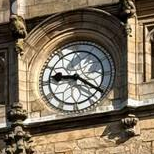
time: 9:20
